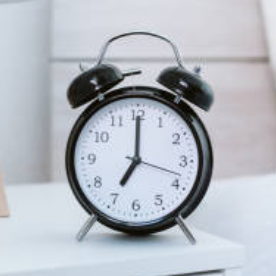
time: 7:00
